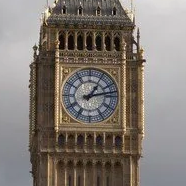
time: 1:12
